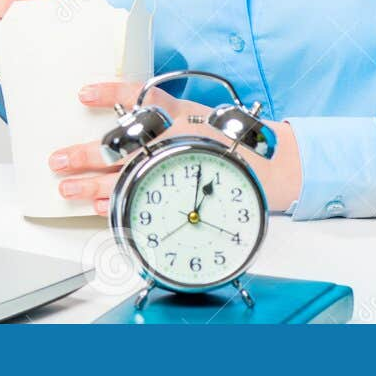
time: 1:01
